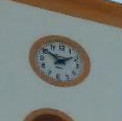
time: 1:50
